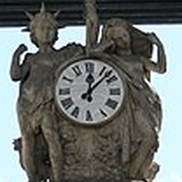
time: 12:07
